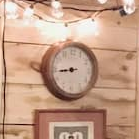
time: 8:43
